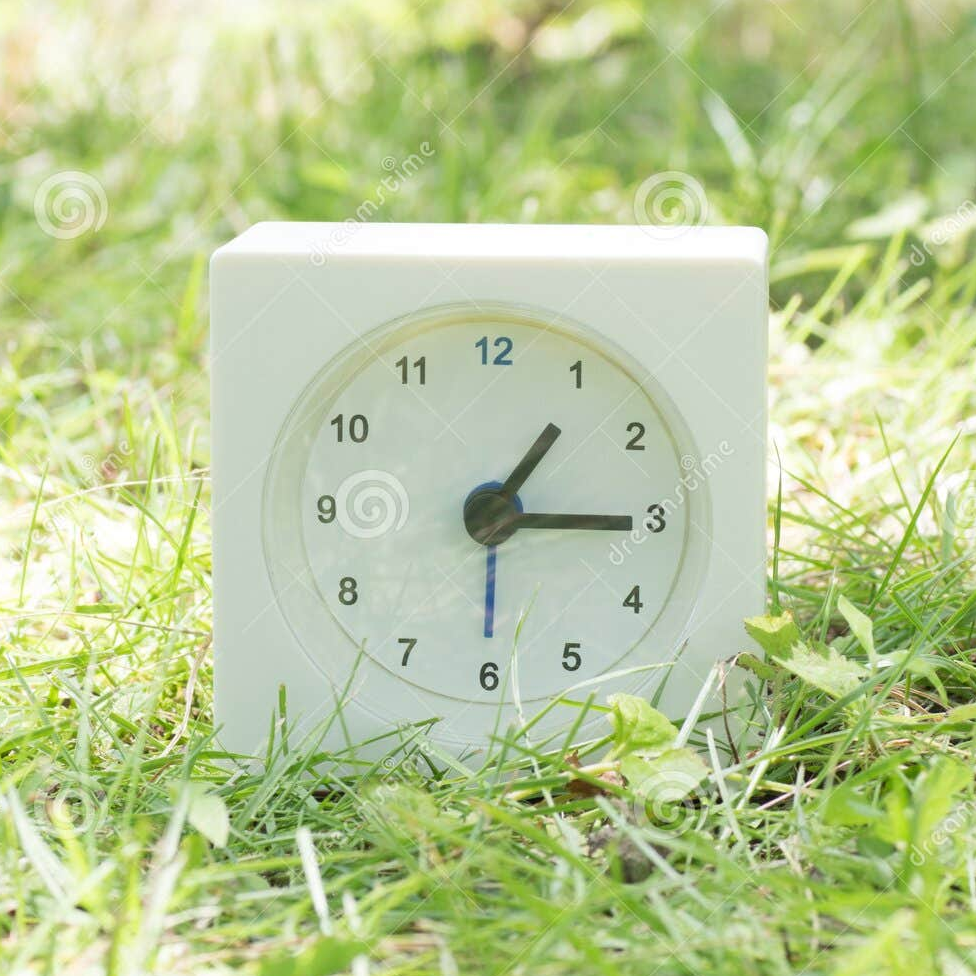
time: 1:15
